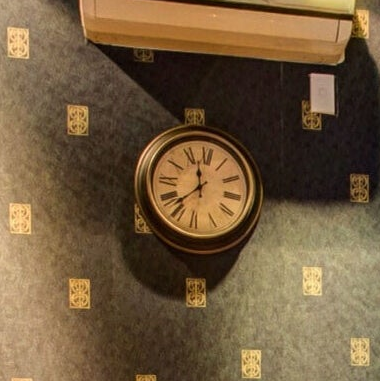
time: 11:37
